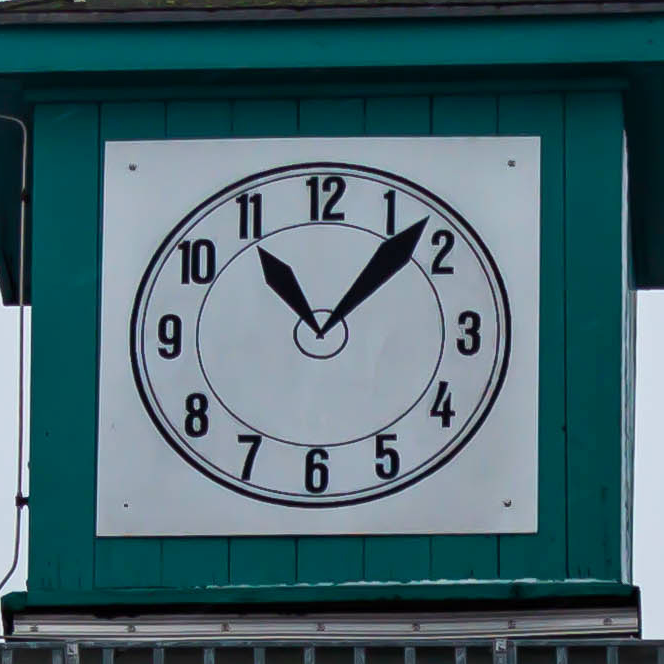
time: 11:07
